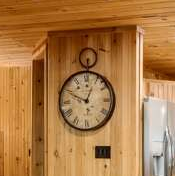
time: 12:49
